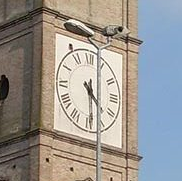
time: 4:29
